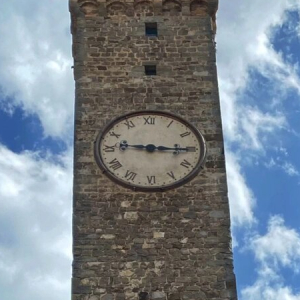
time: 9:15
